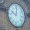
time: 10:00
